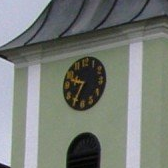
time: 9:34
